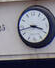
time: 3:43
